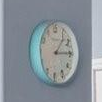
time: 1:14
